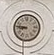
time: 8:46
